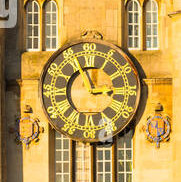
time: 2:56
